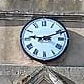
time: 9:11
